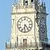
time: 6:23
